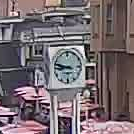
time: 8:47
